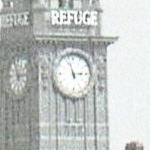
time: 2:57
